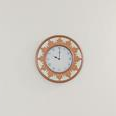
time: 10:00
